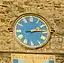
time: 2:13
